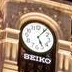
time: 5:06
